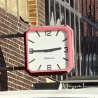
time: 2:45
